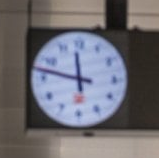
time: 11:47
